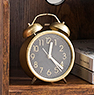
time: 12:22
